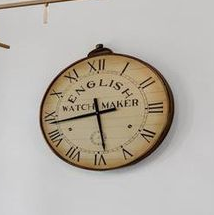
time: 5:43
